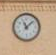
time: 11:07
